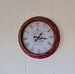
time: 1:16
